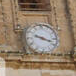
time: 9:17
